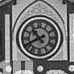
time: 10:40
